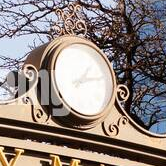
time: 1:12
